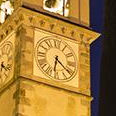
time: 6:21
